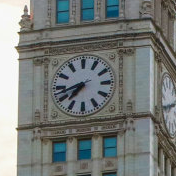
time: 7:42
